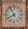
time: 7:54
